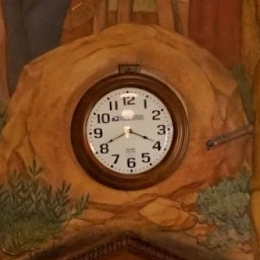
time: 3:40
